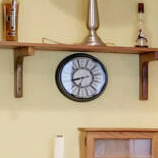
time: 8:32
